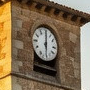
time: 6:00
